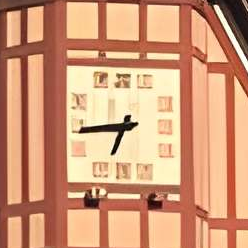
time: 6:43
